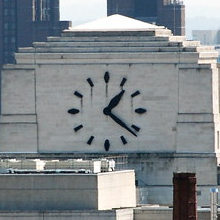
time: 1:21
